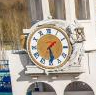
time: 1:28
